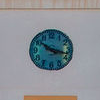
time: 10:17
